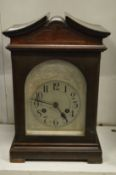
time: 4:46
